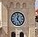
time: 12:23
